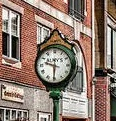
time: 9:30
